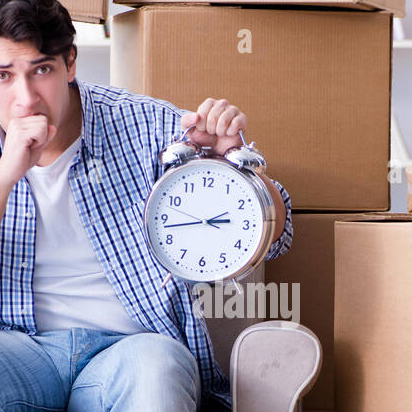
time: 2:42
